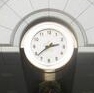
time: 2:38
